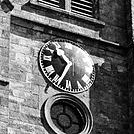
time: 10:34
